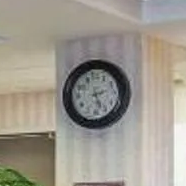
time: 2:26
